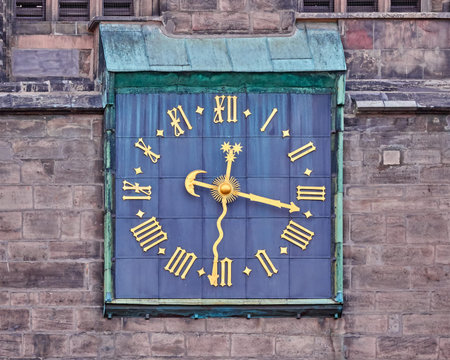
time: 12:17
